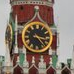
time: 3:22
